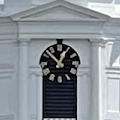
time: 12:52
